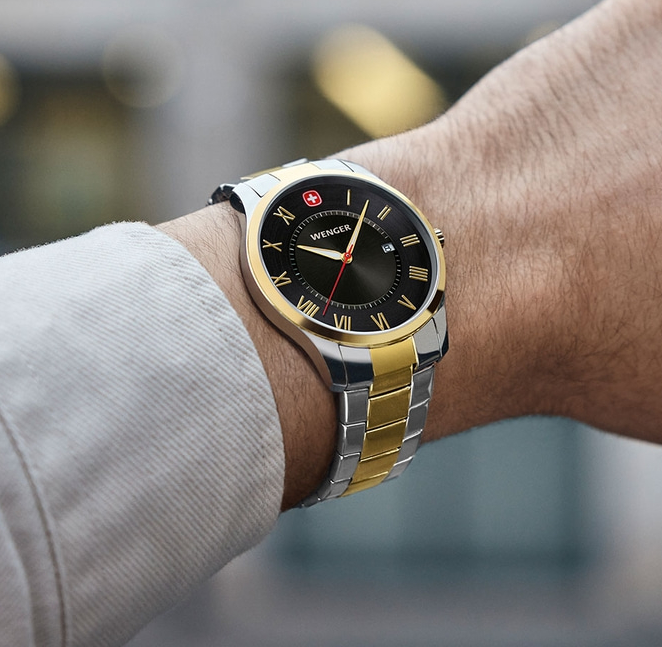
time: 9:02
